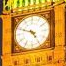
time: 4:48
